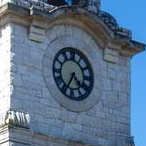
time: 4:35
